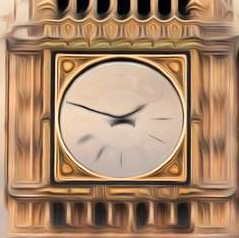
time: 1:48
